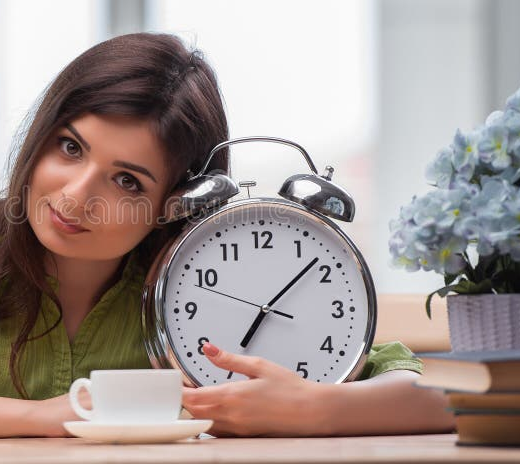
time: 7:07
